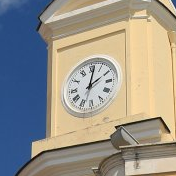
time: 2:01
